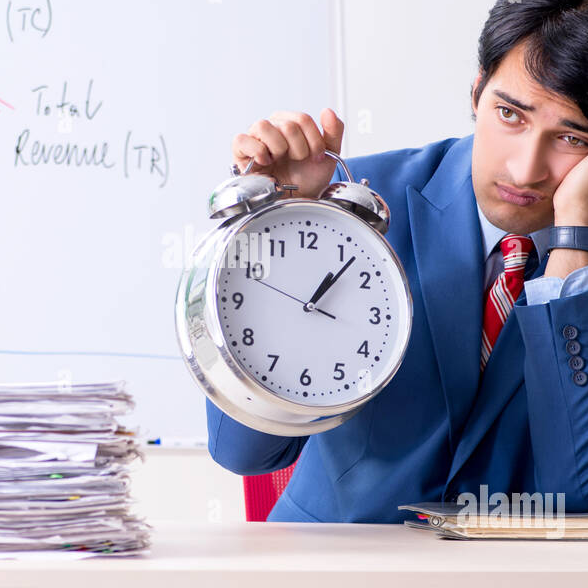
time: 1:06
